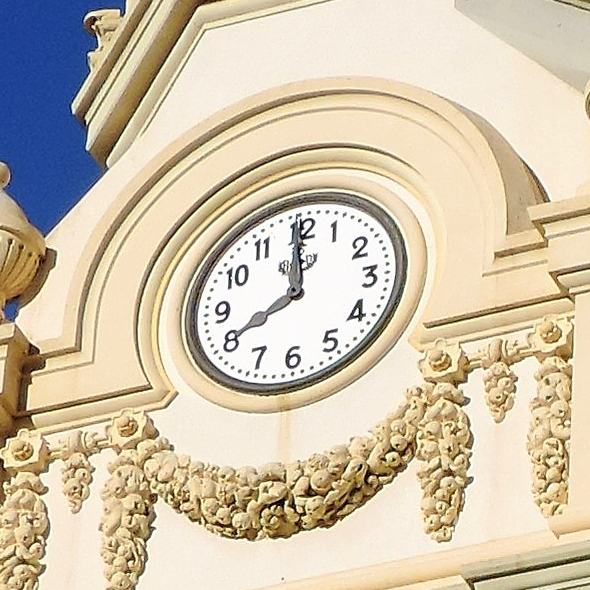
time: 7:59
